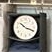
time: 10:18
